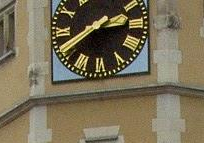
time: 2:40
